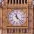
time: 11:22
